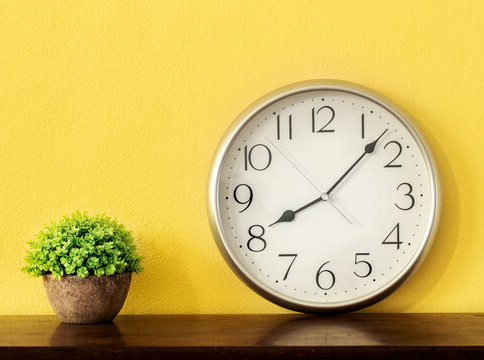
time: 8:07
